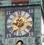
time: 9:01
